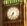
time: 7:32
